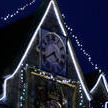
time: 4:40
